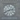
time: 2:41
